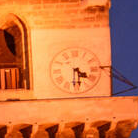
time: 4:29
